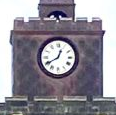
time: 12:40
